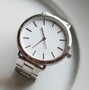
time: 11:37
